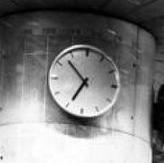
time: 6:52
